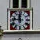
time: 11:46
